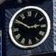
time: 2:50
